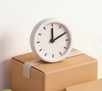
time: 12:10
